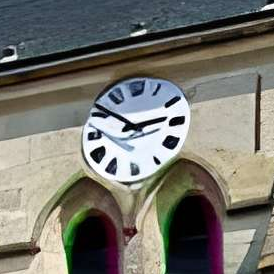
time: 2:50
